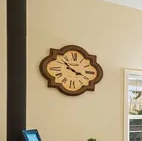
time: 3:52
